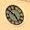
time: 4:50
